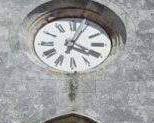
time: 4:04
